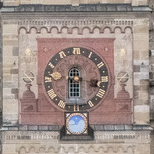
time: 3:29
